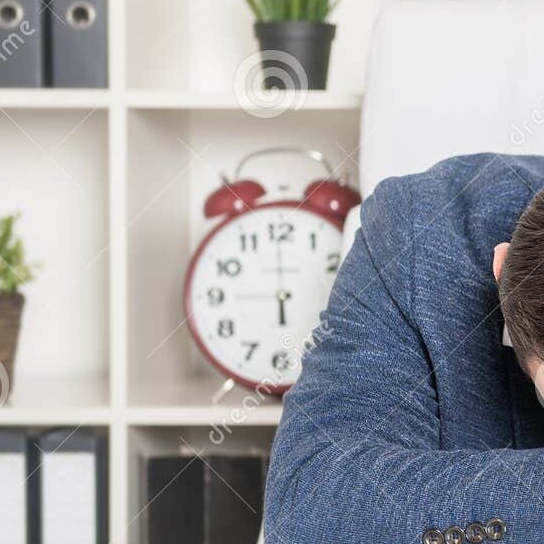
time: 5:45
